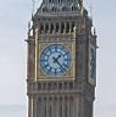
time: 1:22
